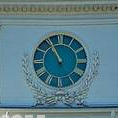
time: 10:55
